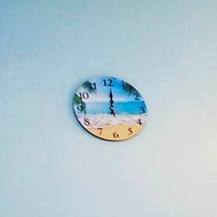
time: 12:00
